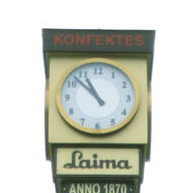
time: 10:52
